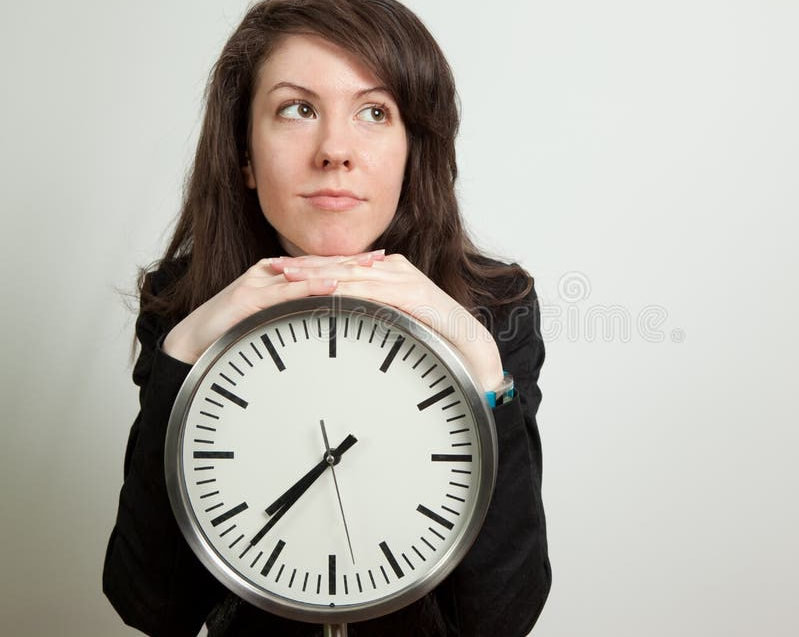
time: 7:37
